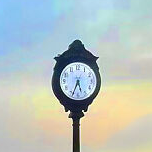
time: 5:33
